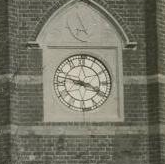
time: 3:47
